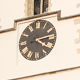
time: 4:13
